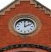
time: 2:00
